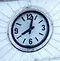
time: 8:02
